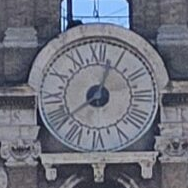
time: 12:38
